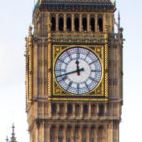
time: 11:42
